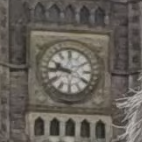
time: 9:45
